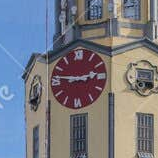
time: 2:46
